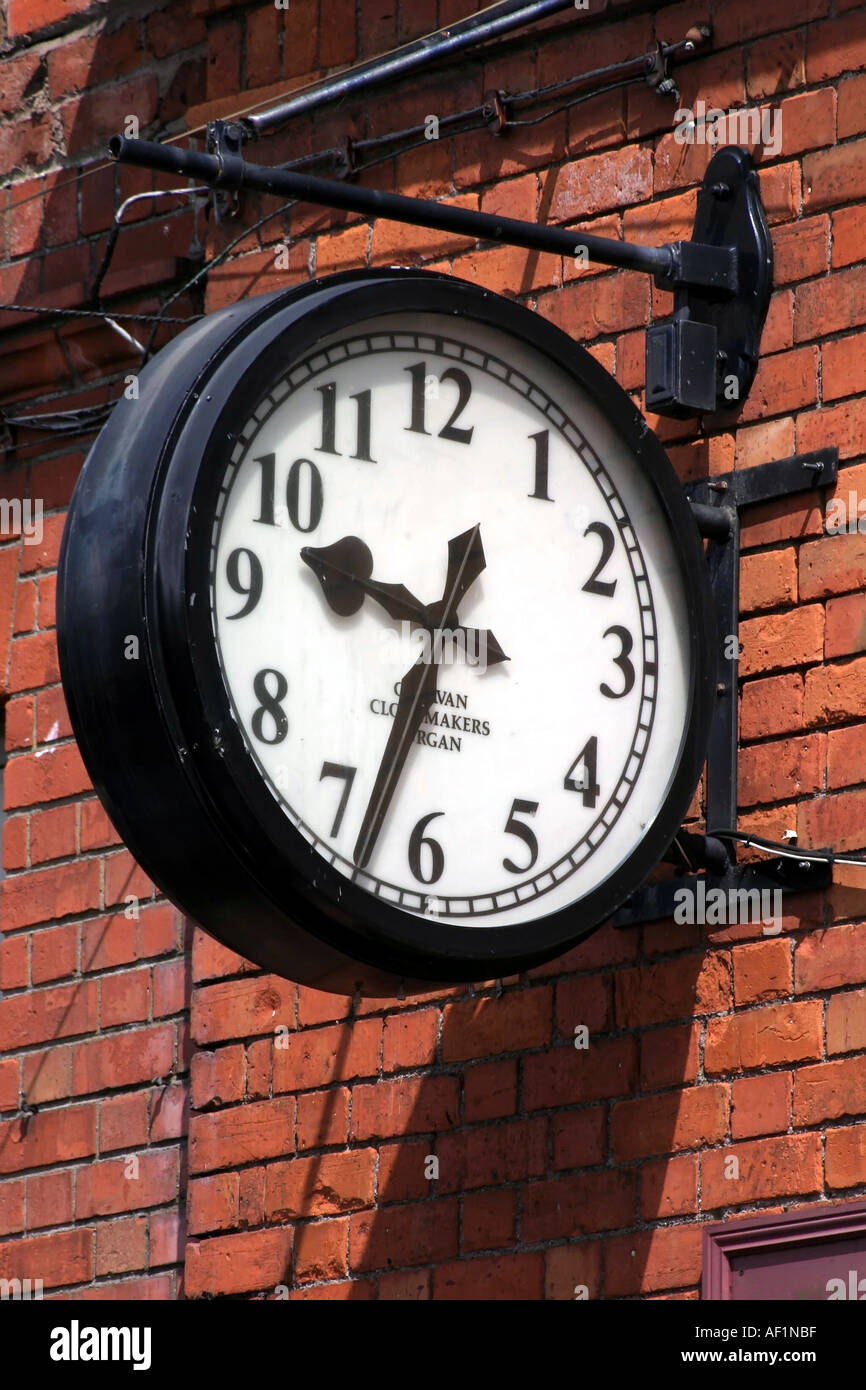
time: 9:33
